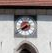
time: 7:40
